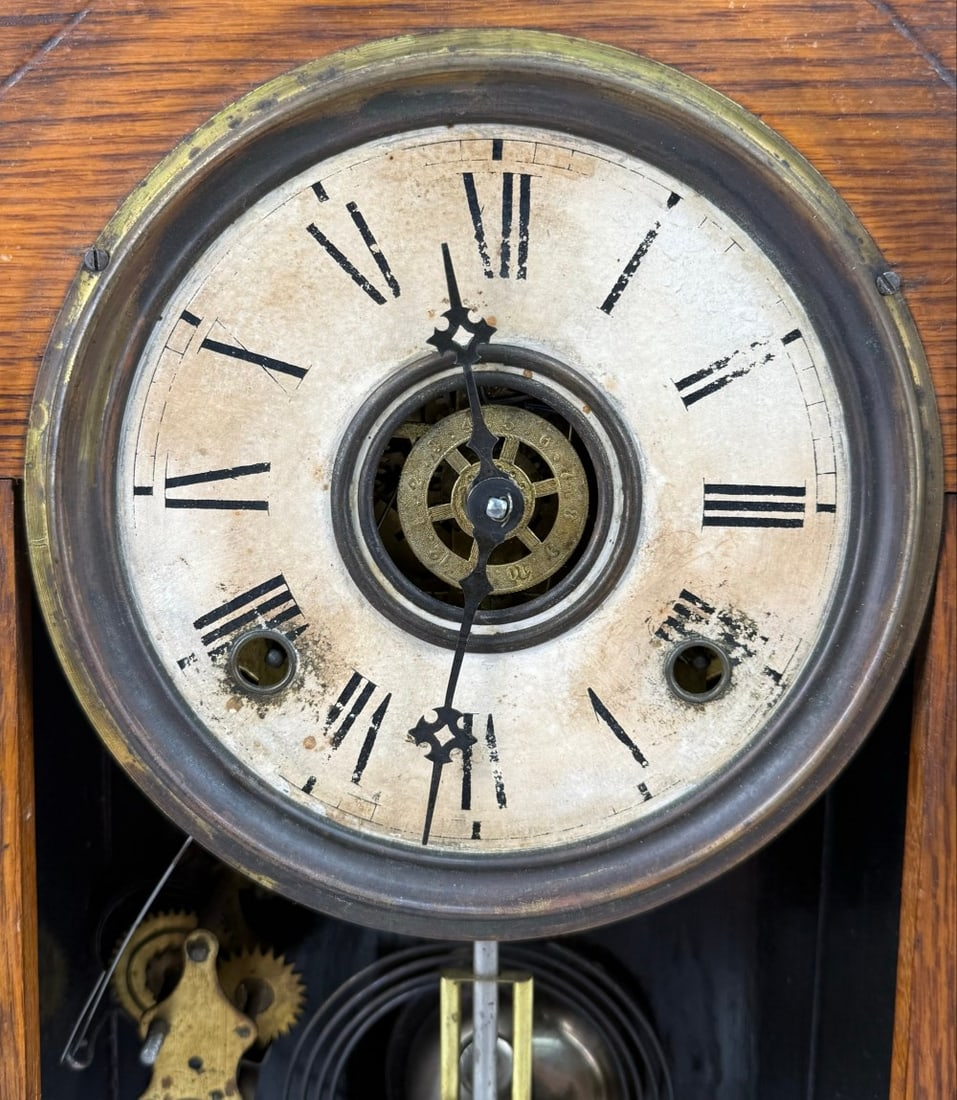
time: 11:31
